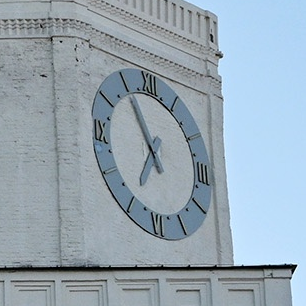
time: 6:55
